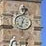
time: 12:32
